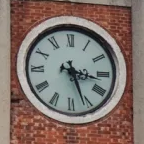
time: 3:26
